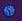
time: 10:28
